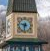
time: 9:32
